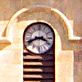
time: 3:41
